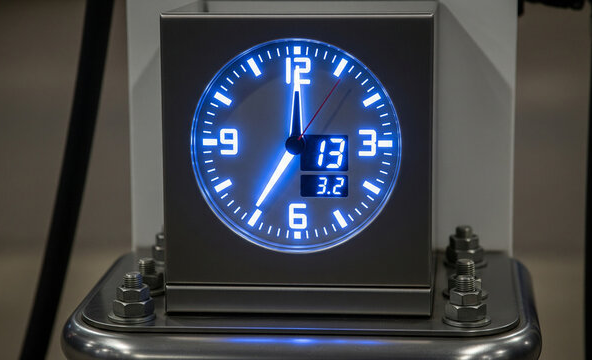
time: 7:00
